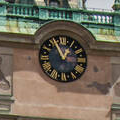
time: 12:55
